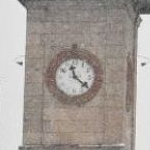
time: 11:21
